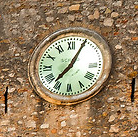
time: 7:04
